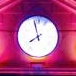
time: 7:57
